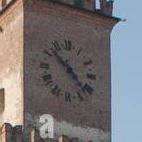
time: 10:23
